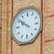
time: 9:50
